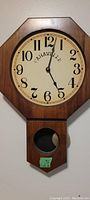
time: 5:02
